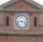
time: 3:43
